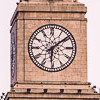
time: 6:08
